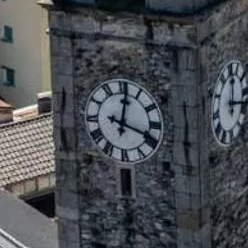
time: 12:18
